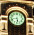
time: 5:42
